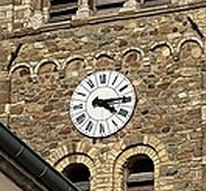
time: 4:14
